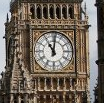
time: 11:01
